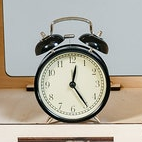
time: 12:24
